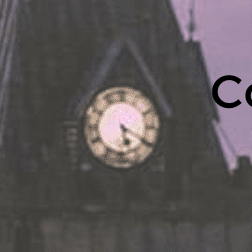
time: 5:19
